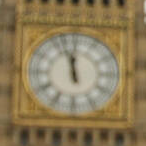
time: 11:57
